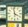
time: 3:58
